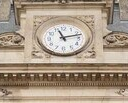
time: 11:12
